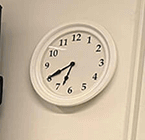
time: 6:40
